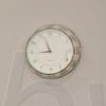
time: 8:56
